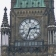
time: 2:33
